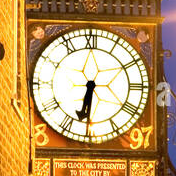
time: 6:30
